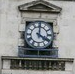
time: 4:00
